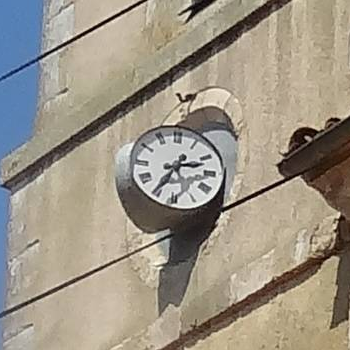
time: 2:35
